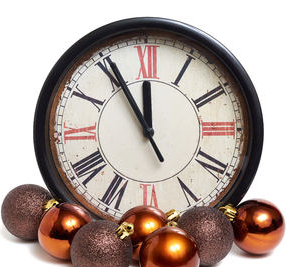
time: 11:55
